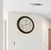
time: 11:41
